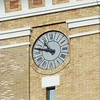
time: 10:47
